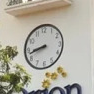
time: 8:42
